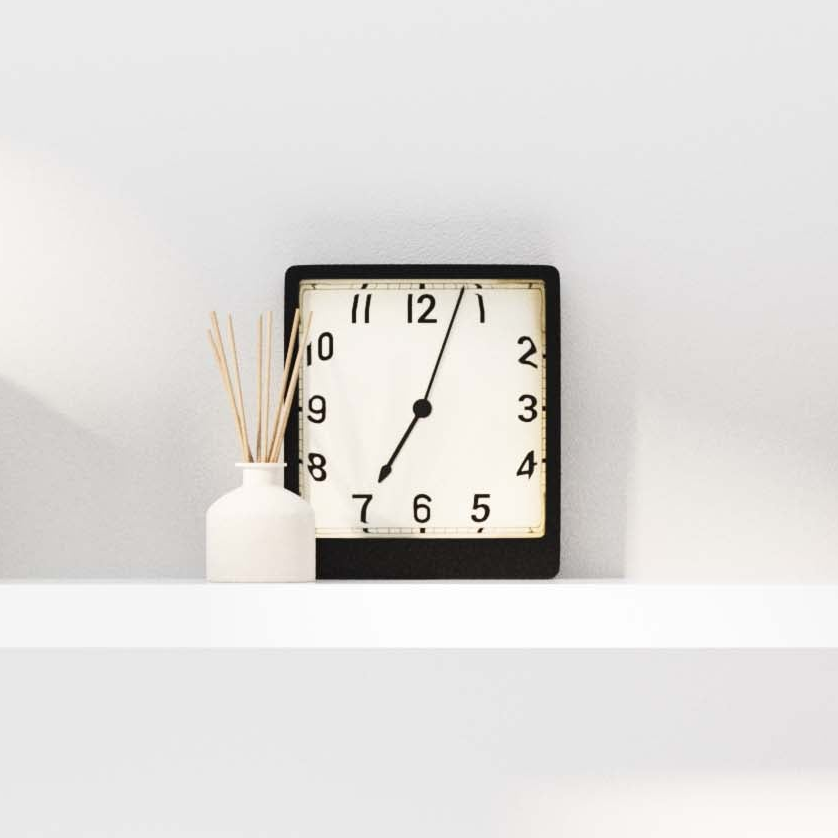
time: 7:03
